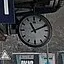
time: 11:11
